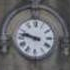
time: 9:47
